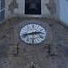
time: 2:42
